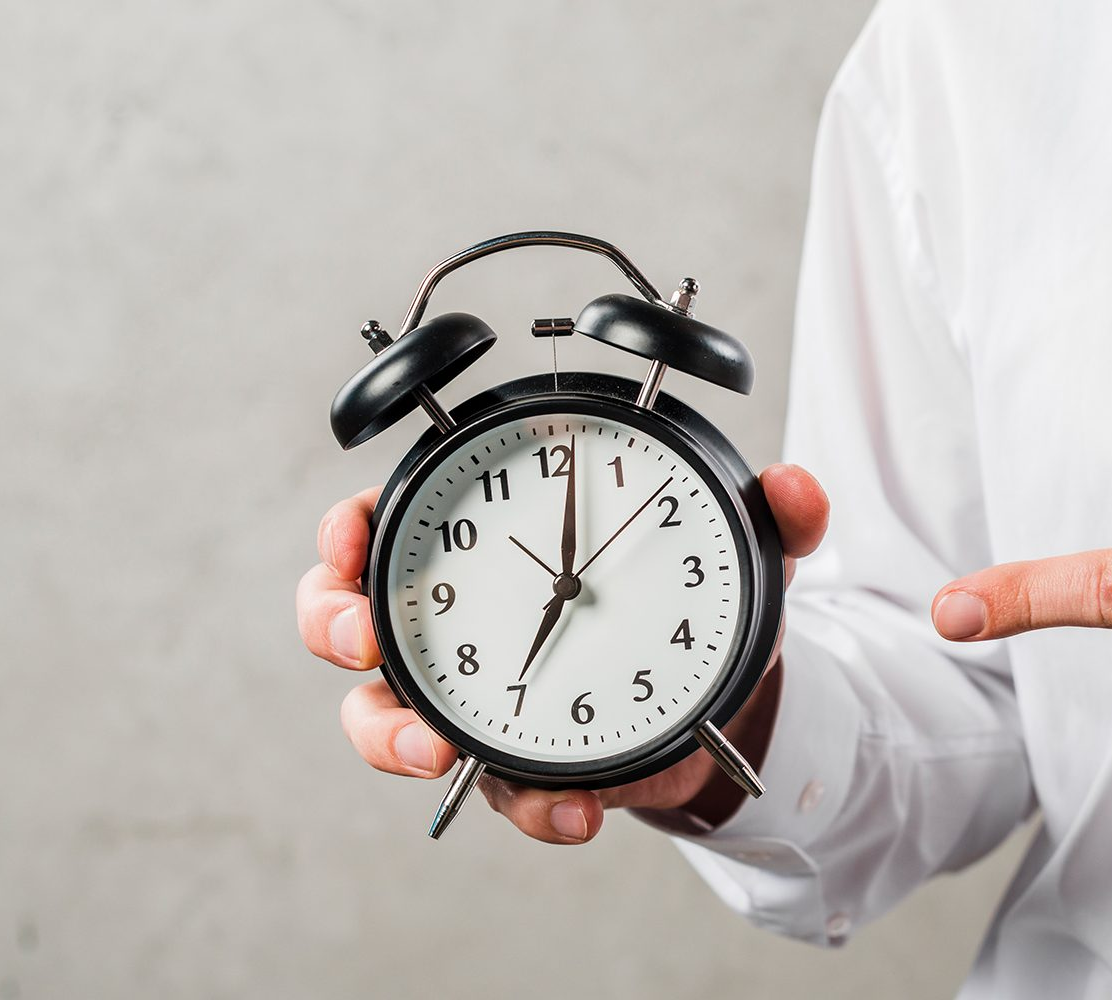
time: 7:01
